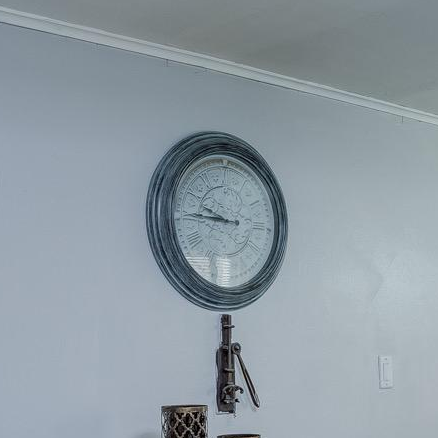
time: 9:45
